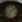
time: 7:08
